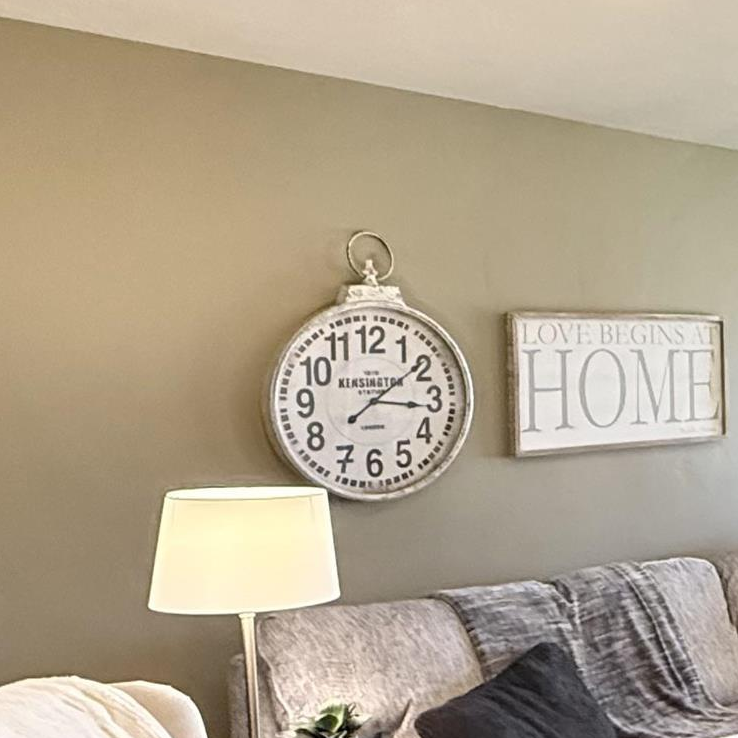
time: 3:08
